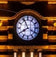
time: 7:55
